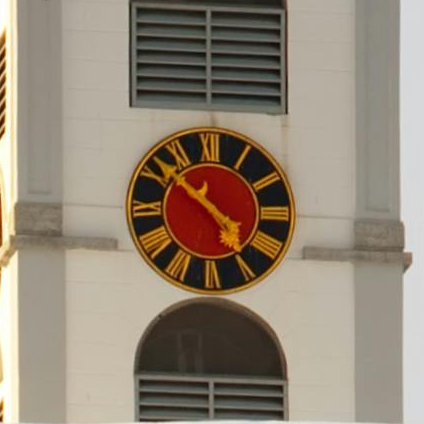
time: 4:51
